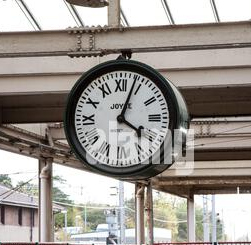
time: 4:03
